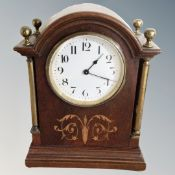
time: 1:18
